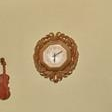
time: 6:10
